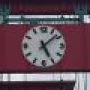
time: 5:08
